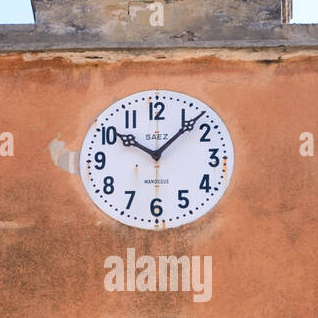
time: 10:07
